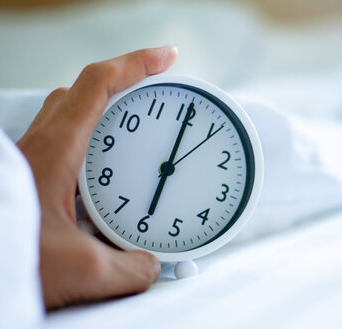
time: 6:00
